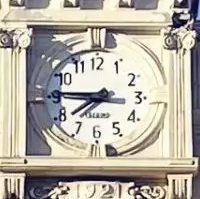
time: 7:45
